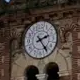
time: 2:24
